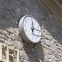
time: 12:14
